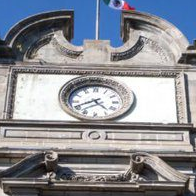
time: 4:40
